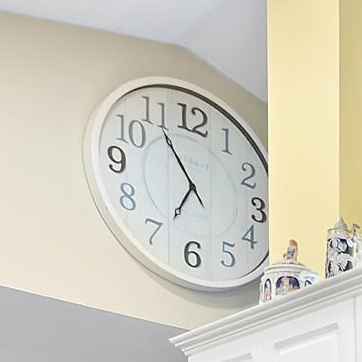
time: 6:54
